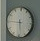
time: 5:45
